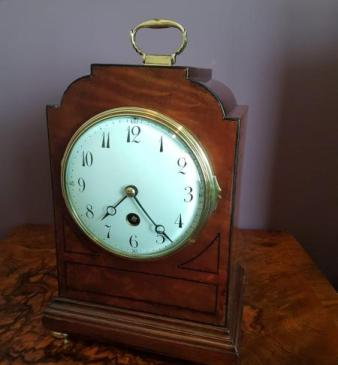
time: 7:23
